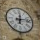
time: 12:13
